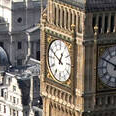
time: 12:49
